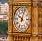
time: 10:02
